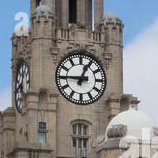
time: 12:45
